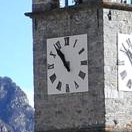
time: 10:53
